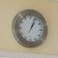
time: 1:03
